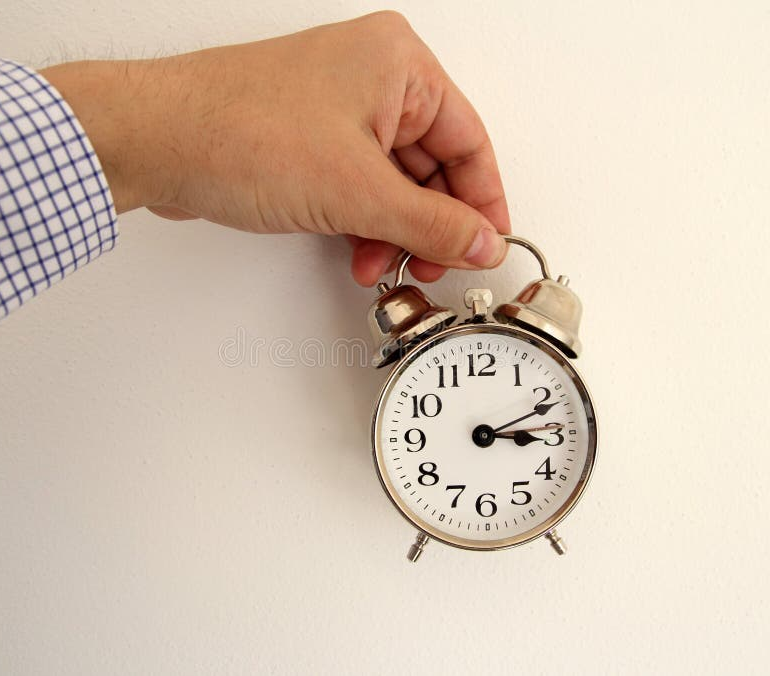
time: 3:11
